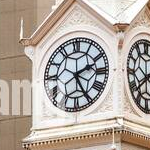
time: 2:25
